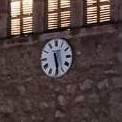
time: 5:28
